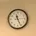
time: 11:25
